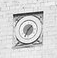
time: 1:33
